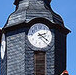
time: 2:21
